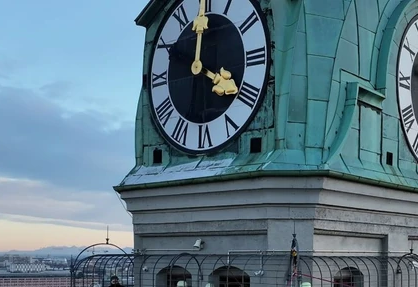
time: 4:00
